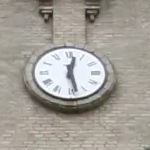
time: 12:28
